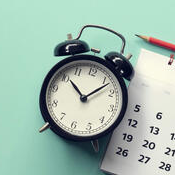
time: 10:07
